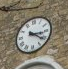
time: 3:21
